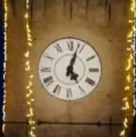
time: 5:03
